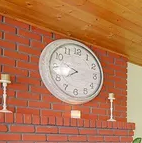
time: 7:48
